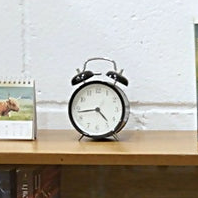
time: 4:43
